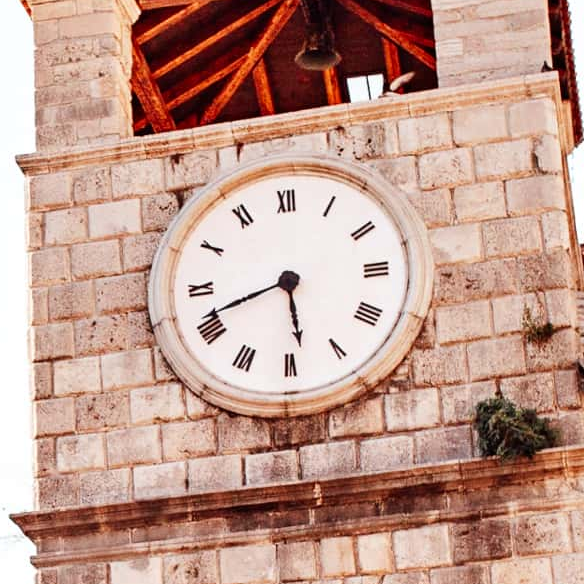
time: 5:41
